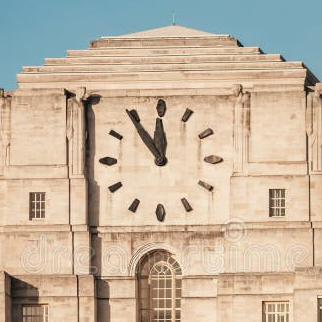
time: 11:54
